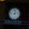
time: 9:01
